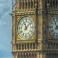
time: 11:07
